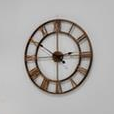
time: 2:50
